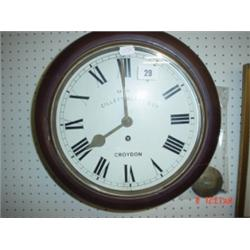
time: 7:59
